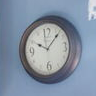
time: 10:07
